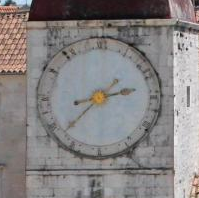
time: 2:38
